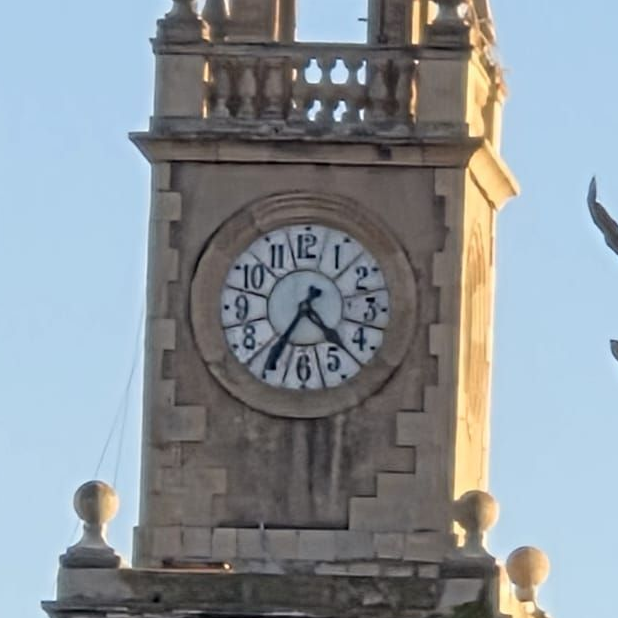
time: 4:35
